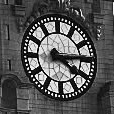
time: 4:14
